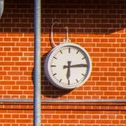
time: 6:14
